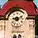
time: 9:11
